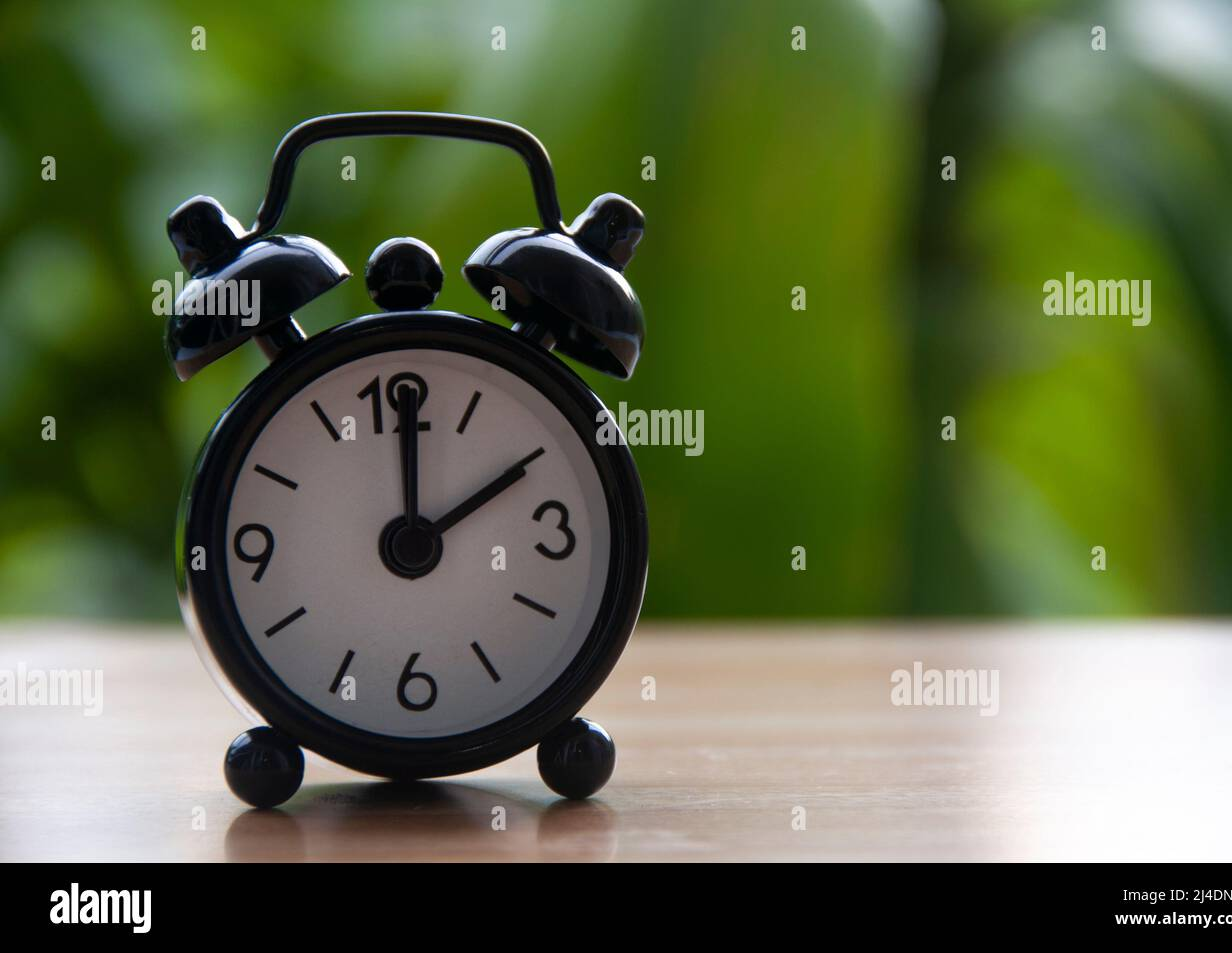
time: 2:00
